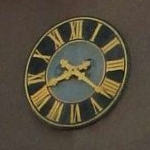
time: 8:21
